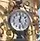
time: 12:24
